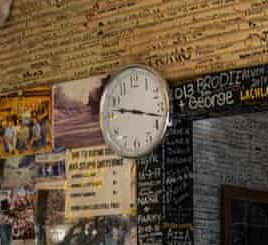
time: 9:17
